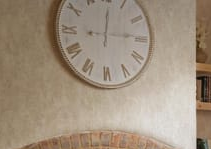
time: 12:14
